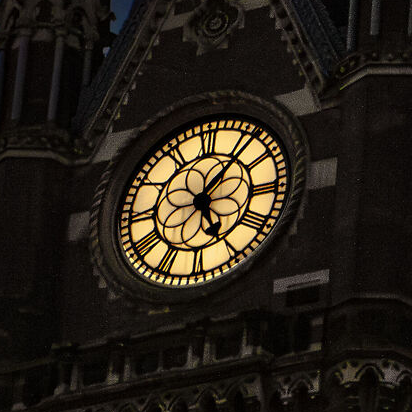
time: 5:06
